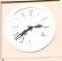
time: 2:38
